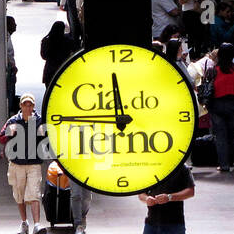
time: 11:45
